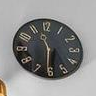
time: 11:31
